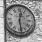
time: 12:28
